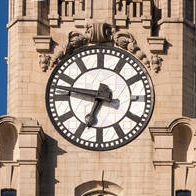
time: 6:46
